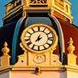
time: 7:04
